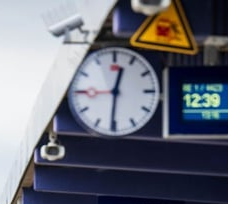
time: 12:30
